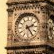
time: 2:24
